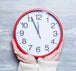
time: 11:56
